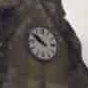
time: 9:50
